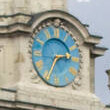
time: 2:34
